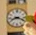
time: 8:18
